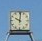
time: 10:00
